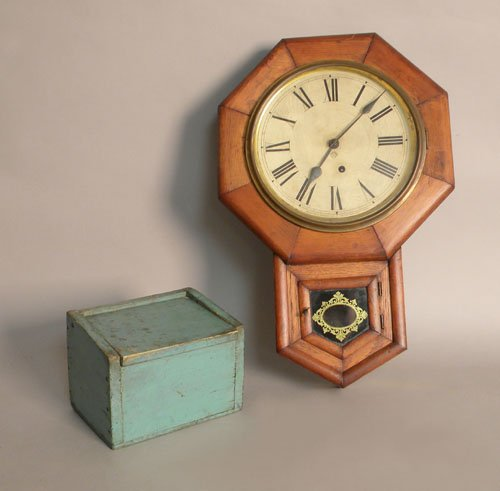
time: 7:07
